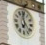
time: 6:58
